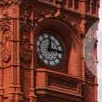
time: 12:14
